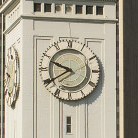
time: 9:40
